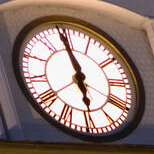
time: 5:59
